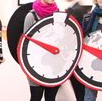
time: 9:50
